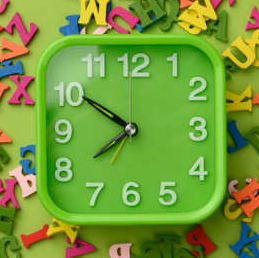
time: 7:50
